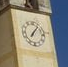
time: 7:06
